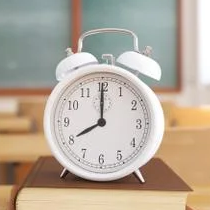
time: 8:00
